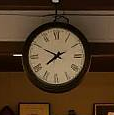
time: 7:49
